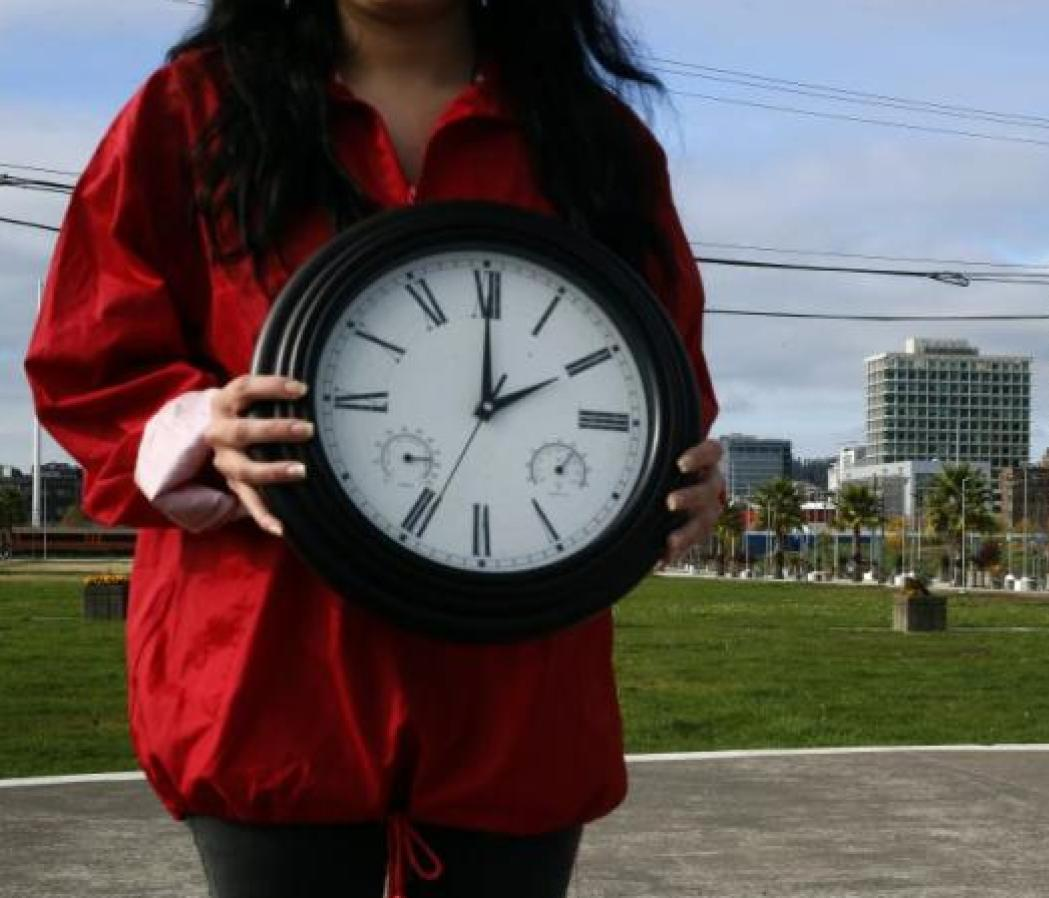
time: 2:00
